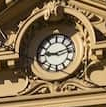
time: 9:12
